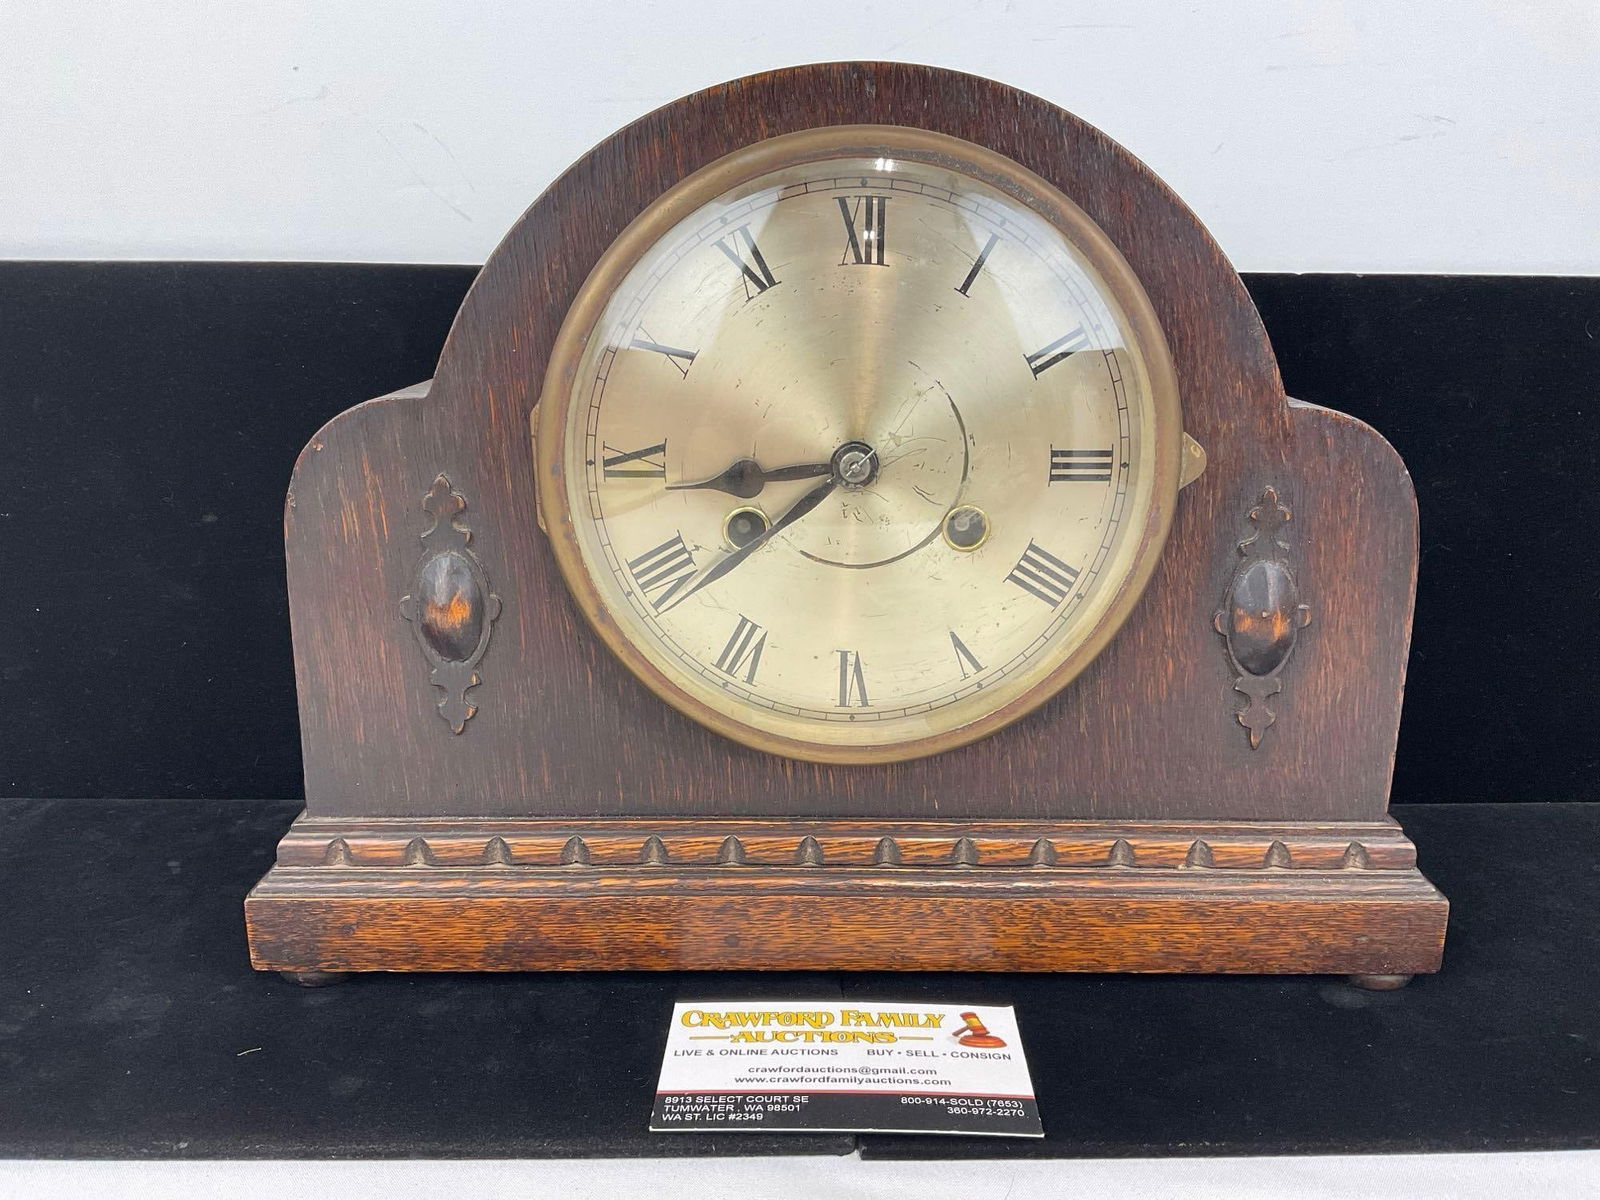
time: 8:38
